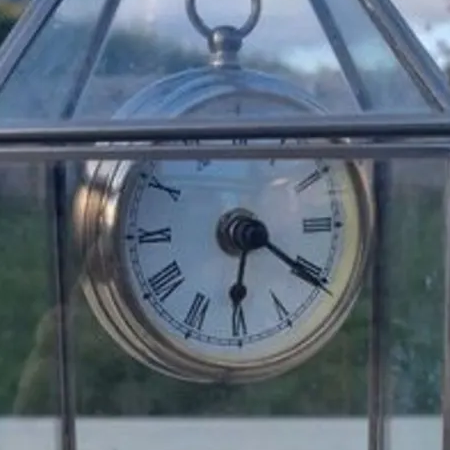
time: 6:20
